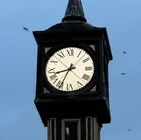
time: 8:34
